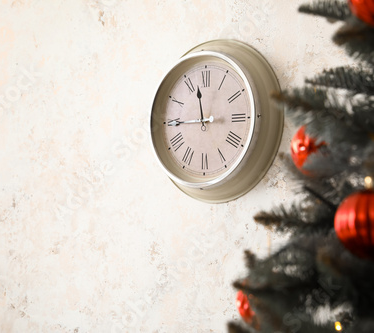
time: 11:44
